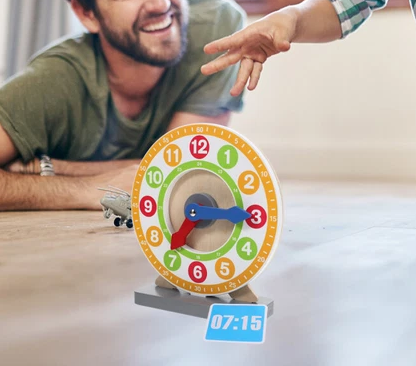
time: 7:15
